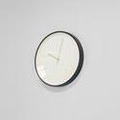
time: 10:00
